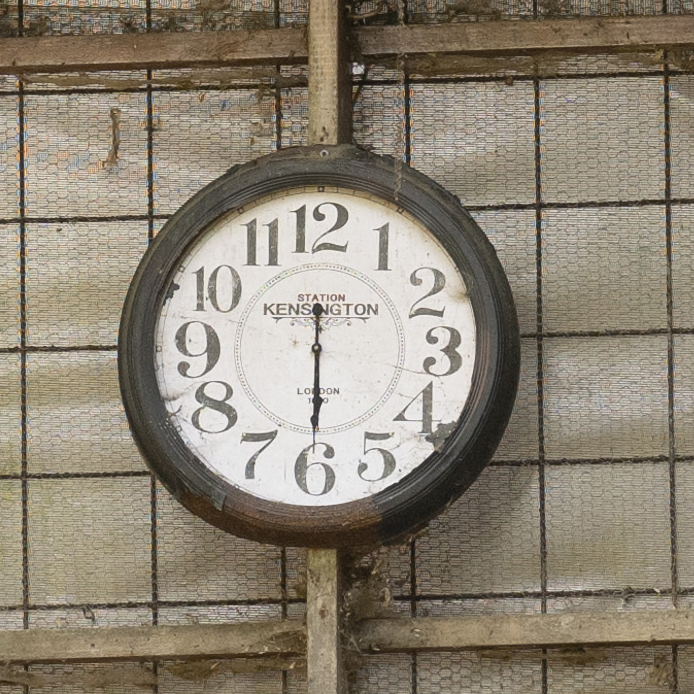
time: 5:59
